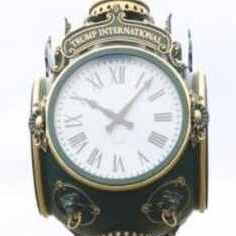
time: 10:06
